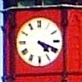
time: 4:18
